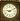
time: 9:10
